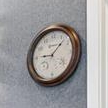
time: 9:07
